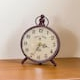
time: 3:34
